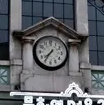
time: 7:35
